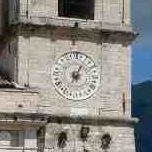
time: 7:04
